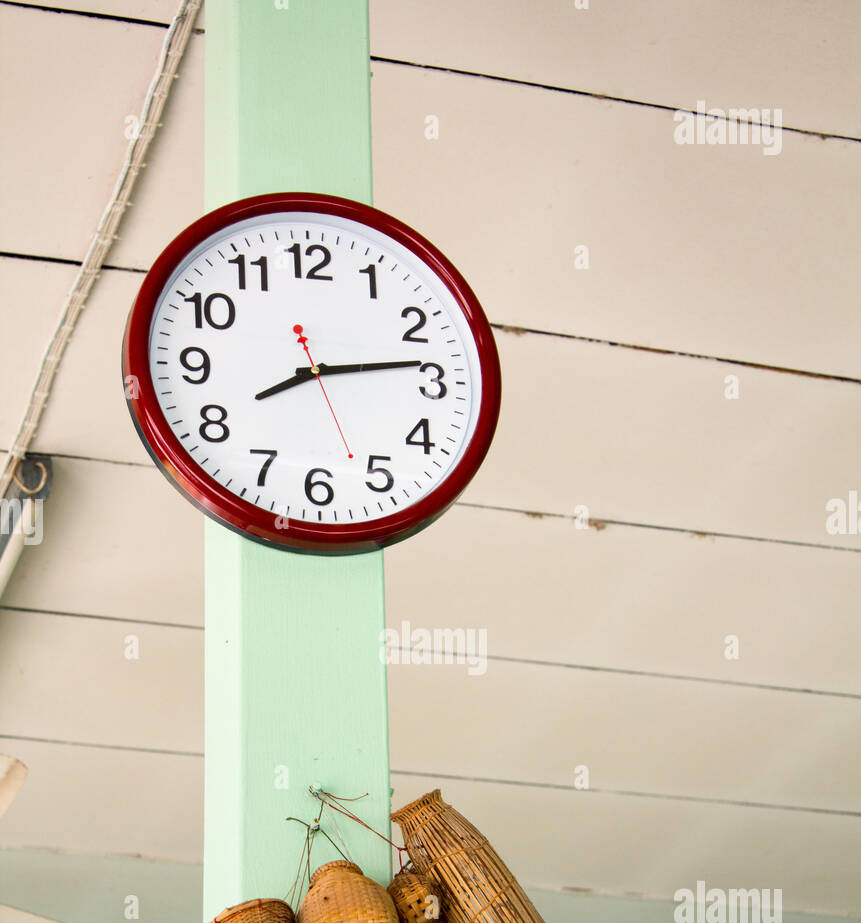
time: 8:13
